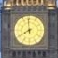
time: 7:58
